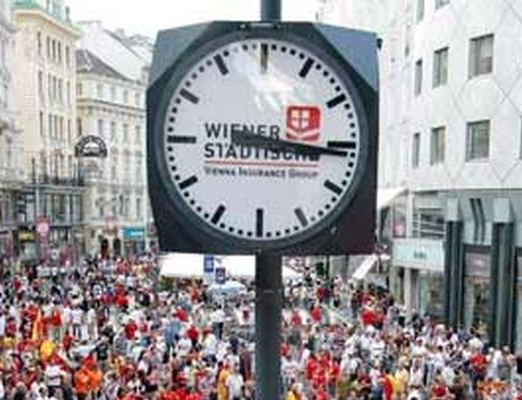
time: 3:15
